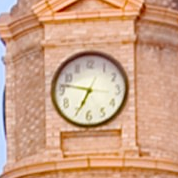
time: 6:47
